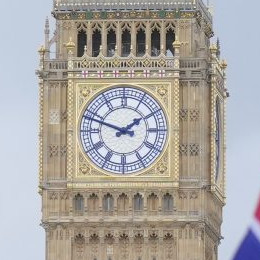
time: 1:48
